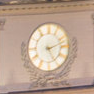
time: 5:12
